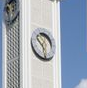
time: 10:28
